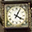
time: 4:04
